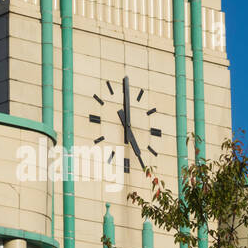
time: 4:59
